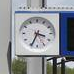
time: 3:34
